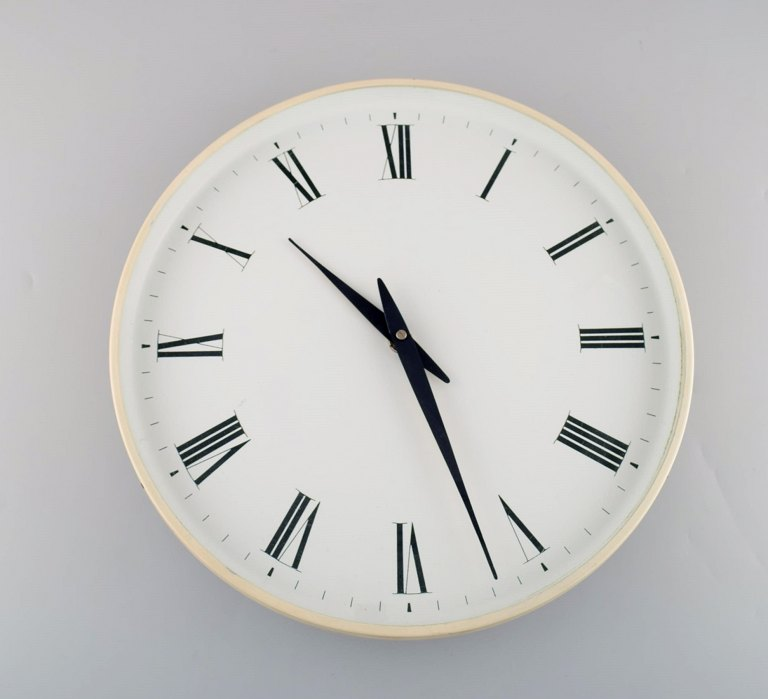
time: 10:26
